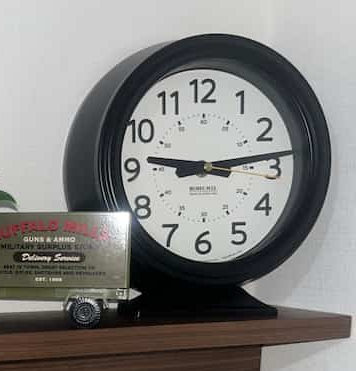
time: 9:13
